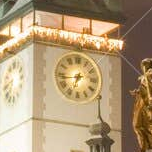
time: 6:43
